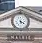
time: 5:20
